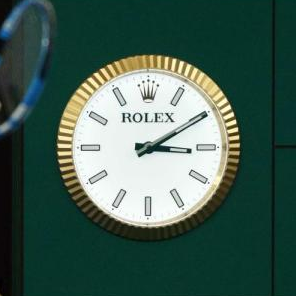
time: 3:09
